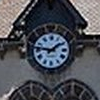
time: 1:46
